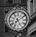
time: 7:09
